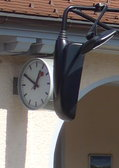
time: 12:50
